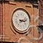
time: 3:12
